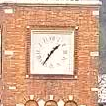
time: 1:35
